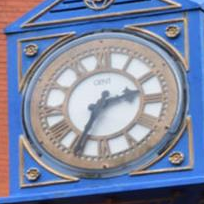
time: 2:34
